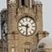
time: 9:32
